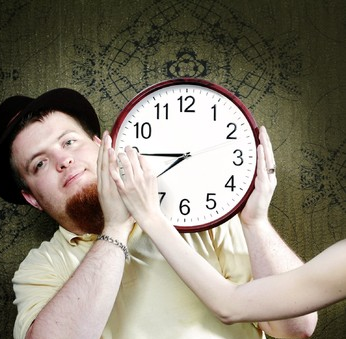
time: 7:45
